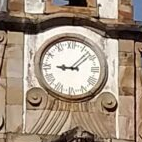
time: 9:07
